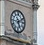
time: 5:11
